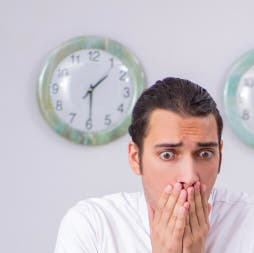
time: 1:29
